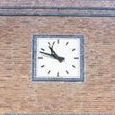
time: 10:48
